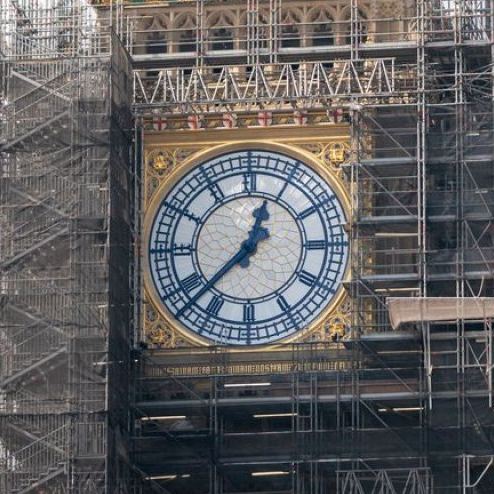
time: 12:37
